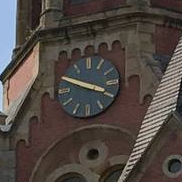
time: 3:48
